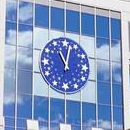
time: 11:02
